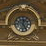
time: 12:24
